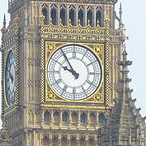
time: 9:54
